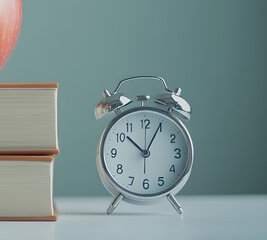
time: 10:04
